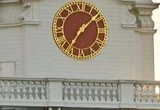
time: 7:08
